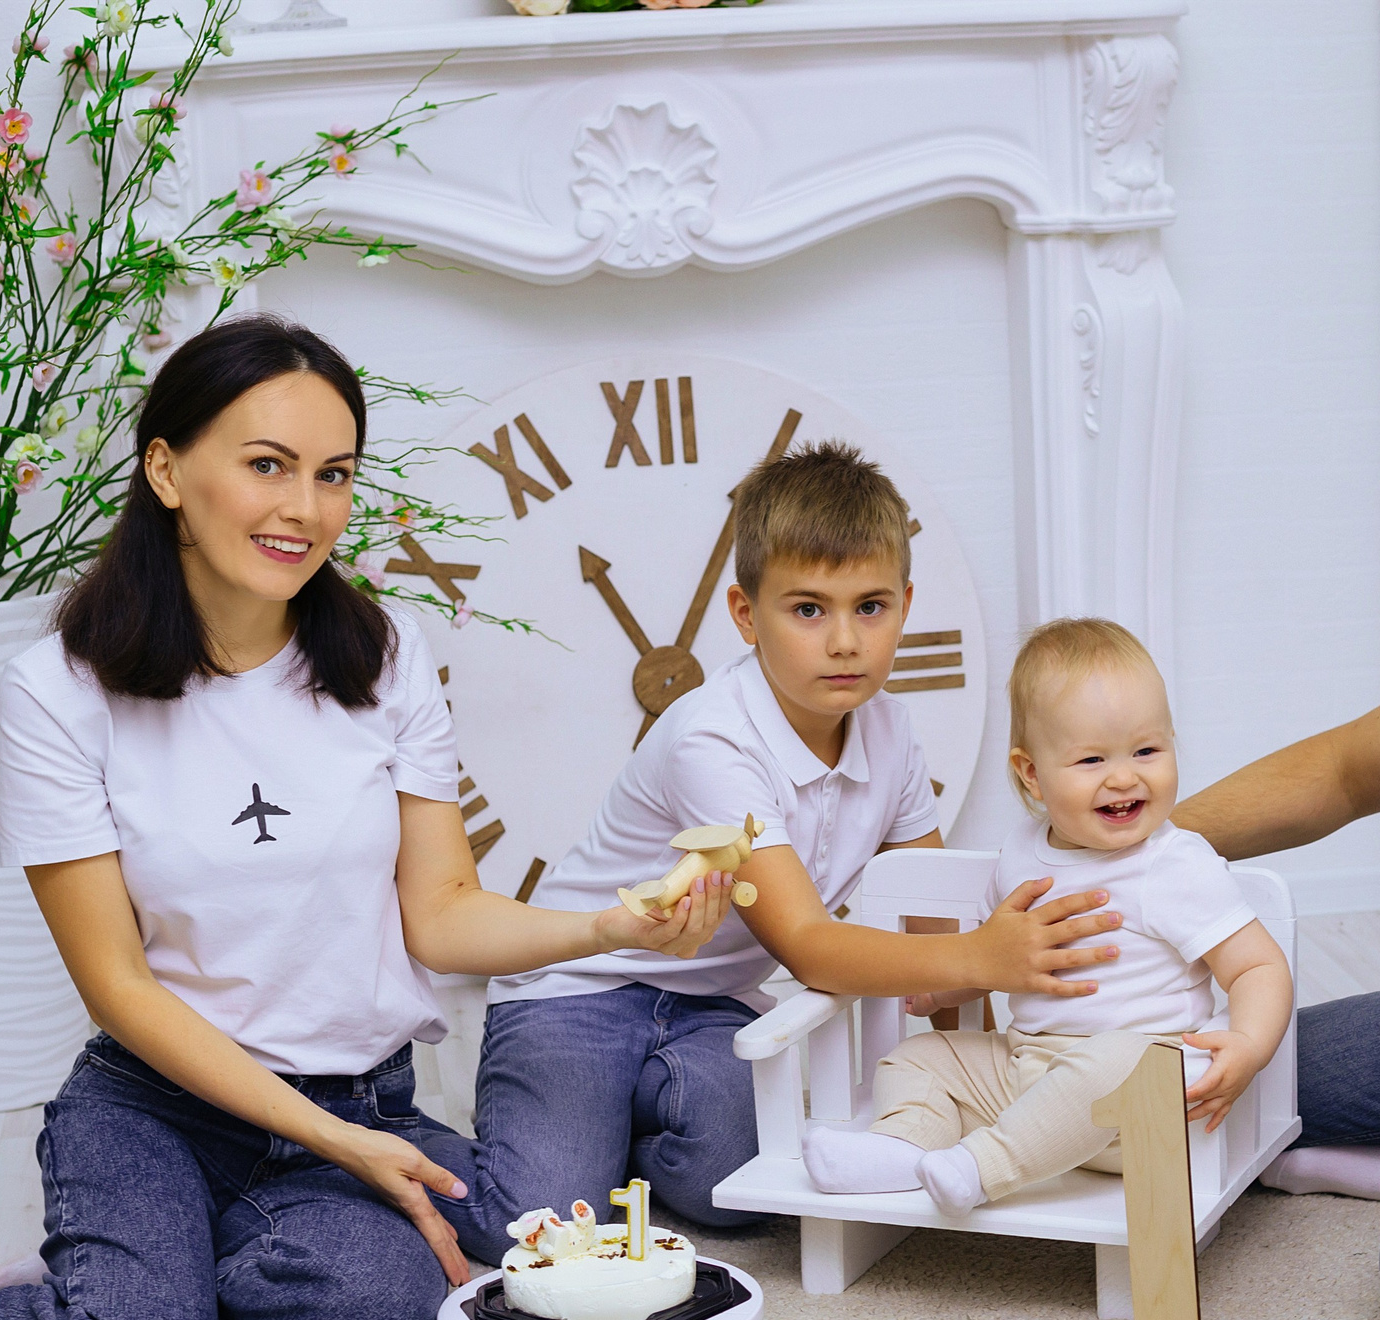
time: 11:04
